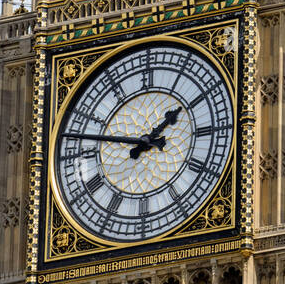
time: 1:47
